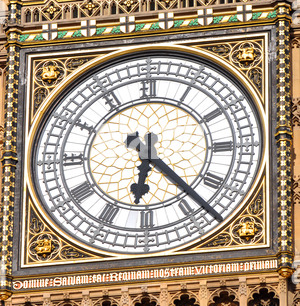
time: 6:22
